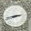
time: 2:42
